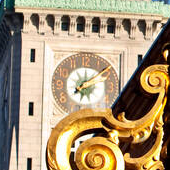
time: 7:09
